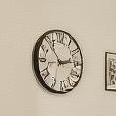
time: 2:53
